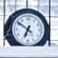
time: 6:50
